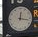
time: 12:16
